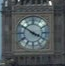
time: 3:50
